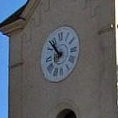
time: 7:53
